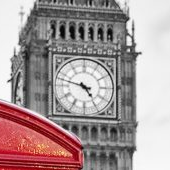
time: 4:47
